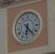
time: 6:23
